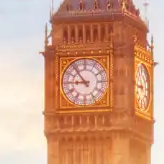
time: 8:53
